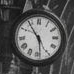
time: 5:54
